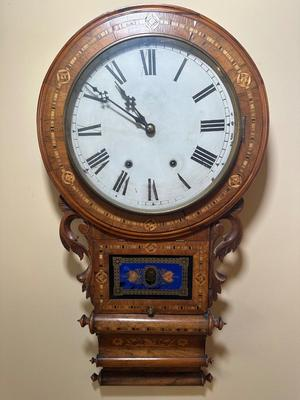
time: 10:50
